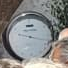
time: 9:17
